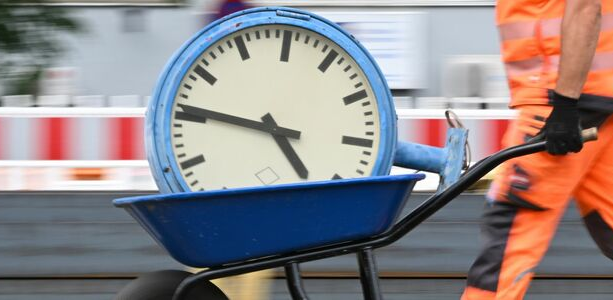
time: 4:46
